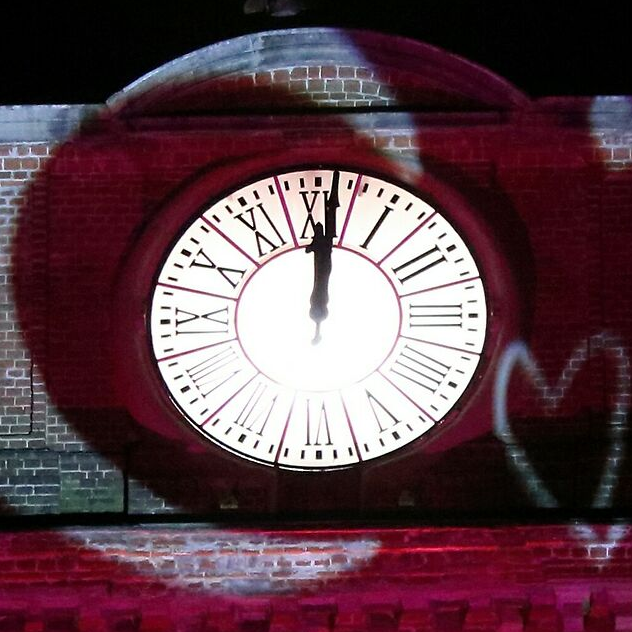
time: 12:01
